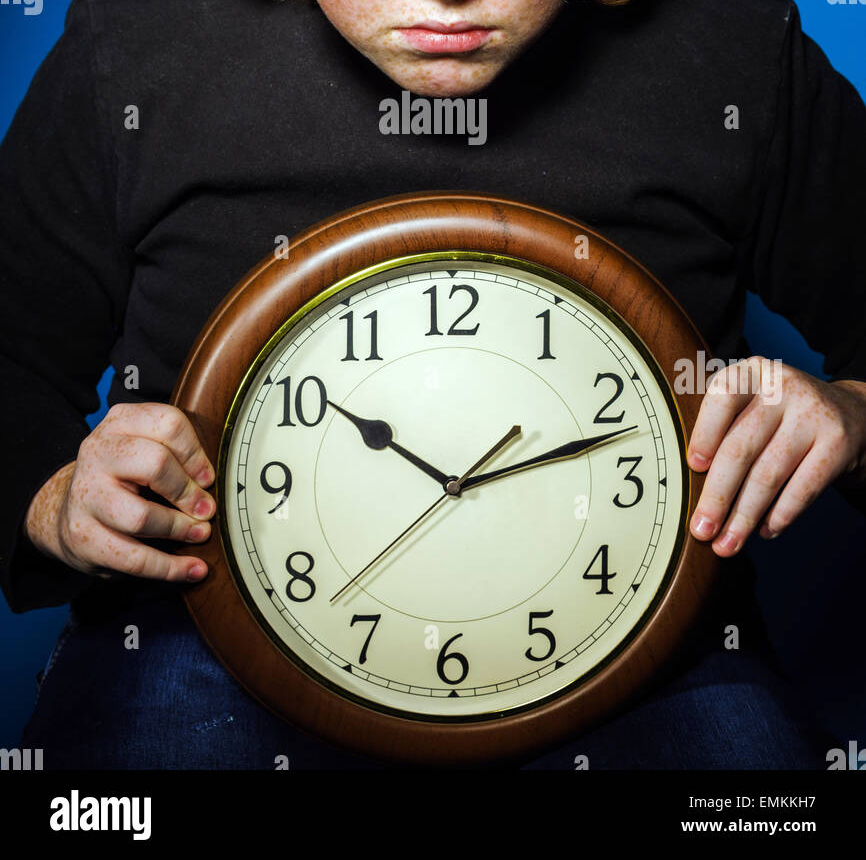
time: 10:12
